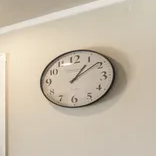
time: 1:08
